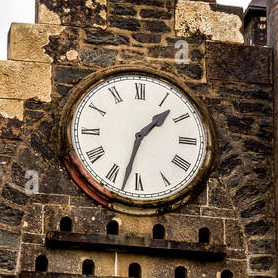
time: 1:32
